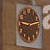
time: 9:12
